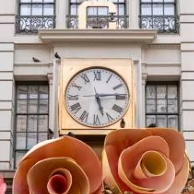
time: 5:13
